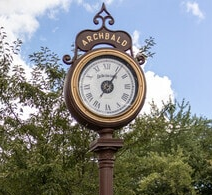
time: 7:06
